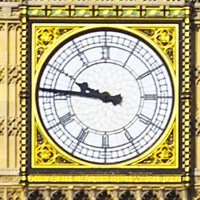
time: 9:45
